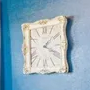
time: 1:18
